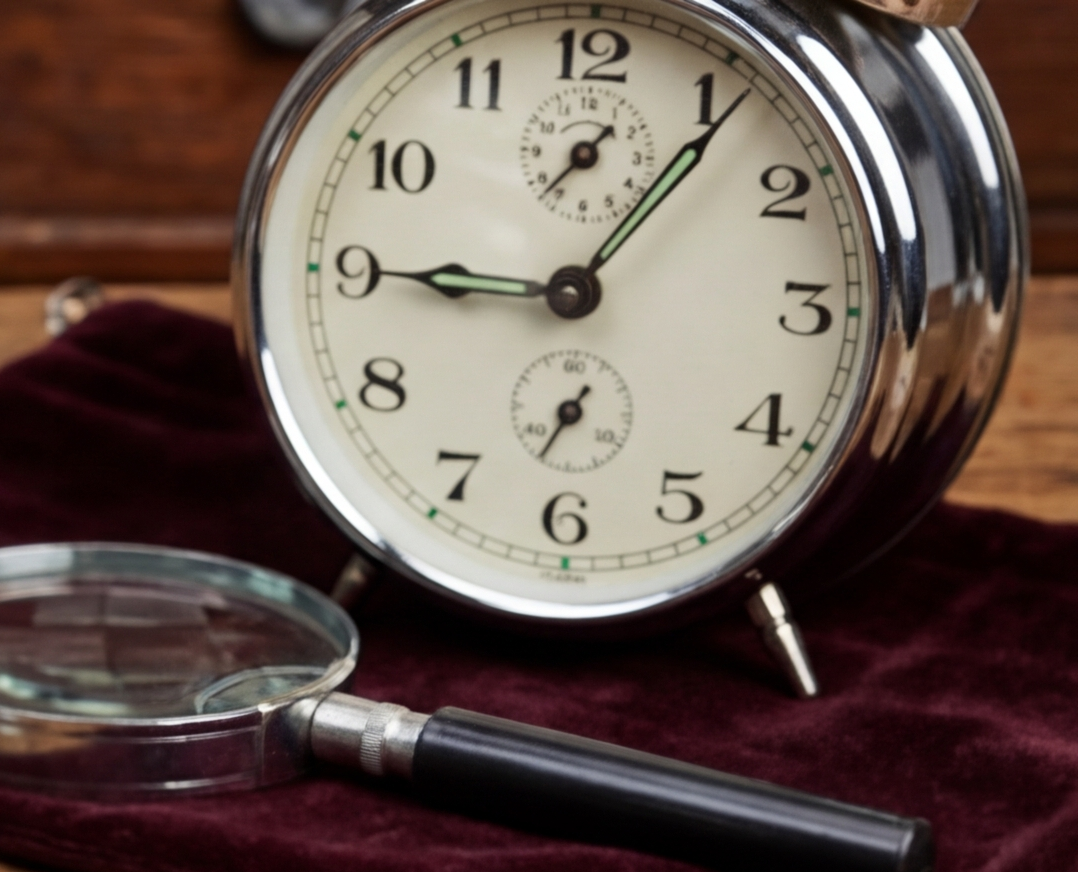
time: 9:06
